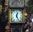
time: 12:26
